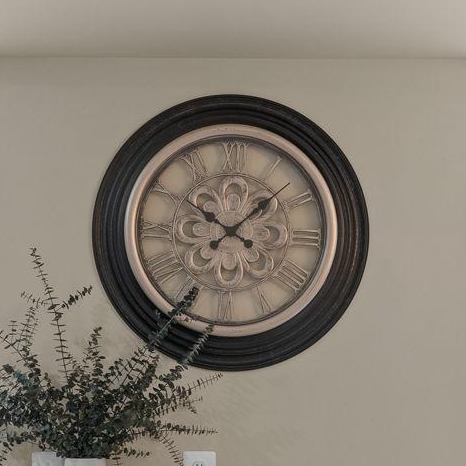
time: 10:07
